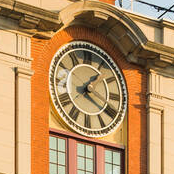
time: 1:20
